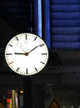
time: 9:08
